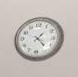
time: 1:23
